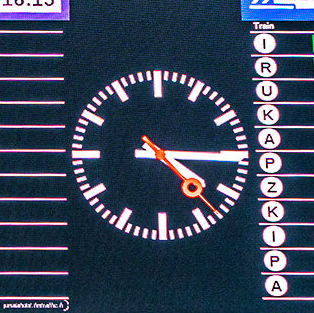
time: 4:15
